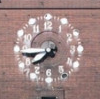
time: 7:44
